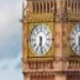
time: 6:28
